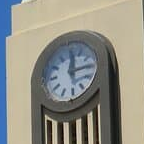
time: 12:14
